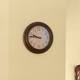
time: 9:45
